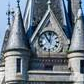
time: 11:02
